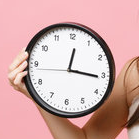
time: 12:15
